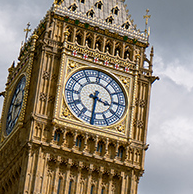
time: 3:31
